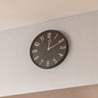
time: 12:10
